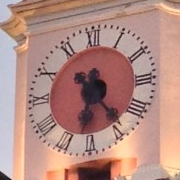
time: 6:23
